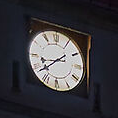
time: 8:38
